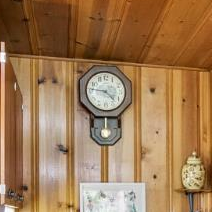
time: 9:22
